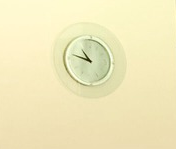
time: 10:47
